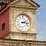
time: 2:16
